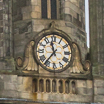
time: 11:36
